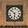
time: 5:51
